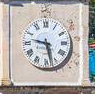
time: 9:28
